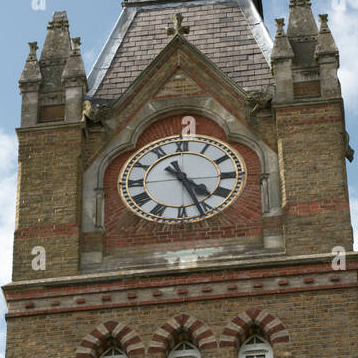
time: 4:26
